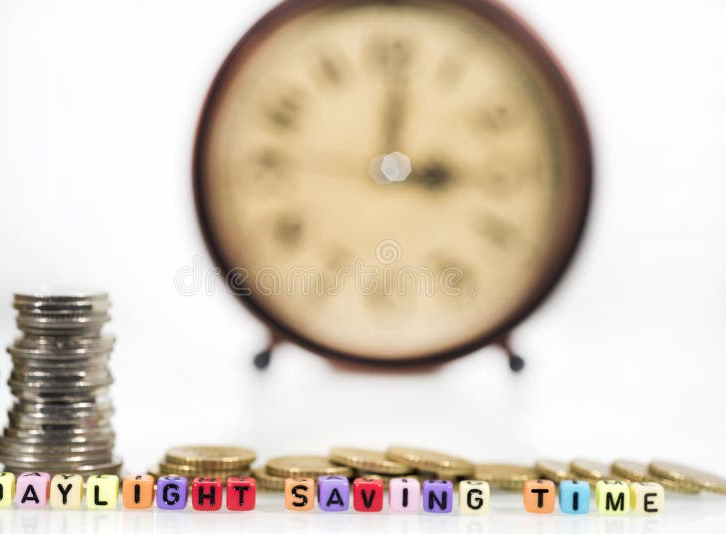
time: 3:00
